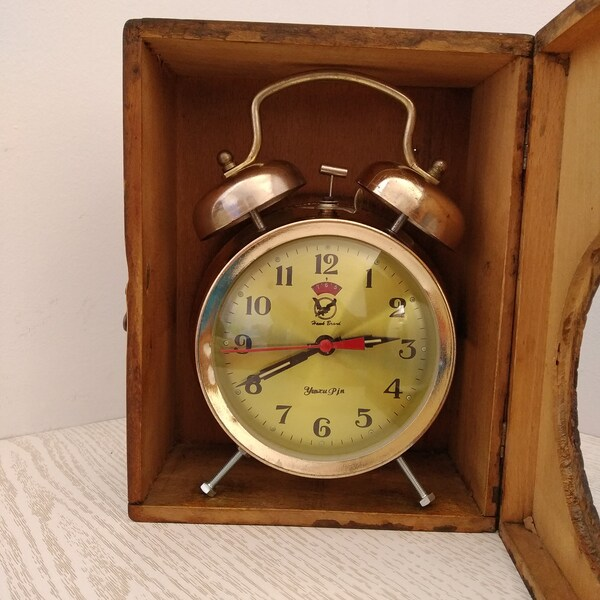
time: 2:40
